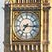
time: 7:15
